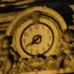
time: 7:40
